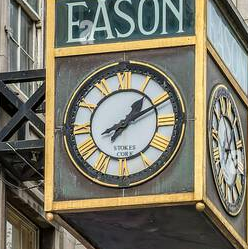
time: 1:10
